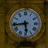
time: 5:43
